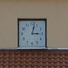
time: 3:02
